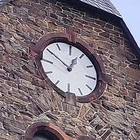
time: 12:50
